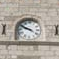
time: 9:50
